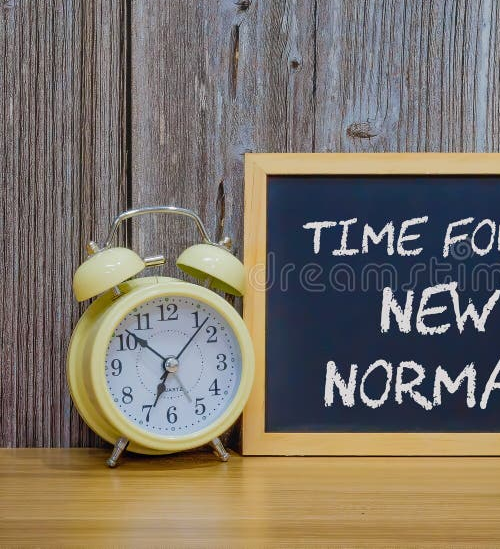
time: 6:52
